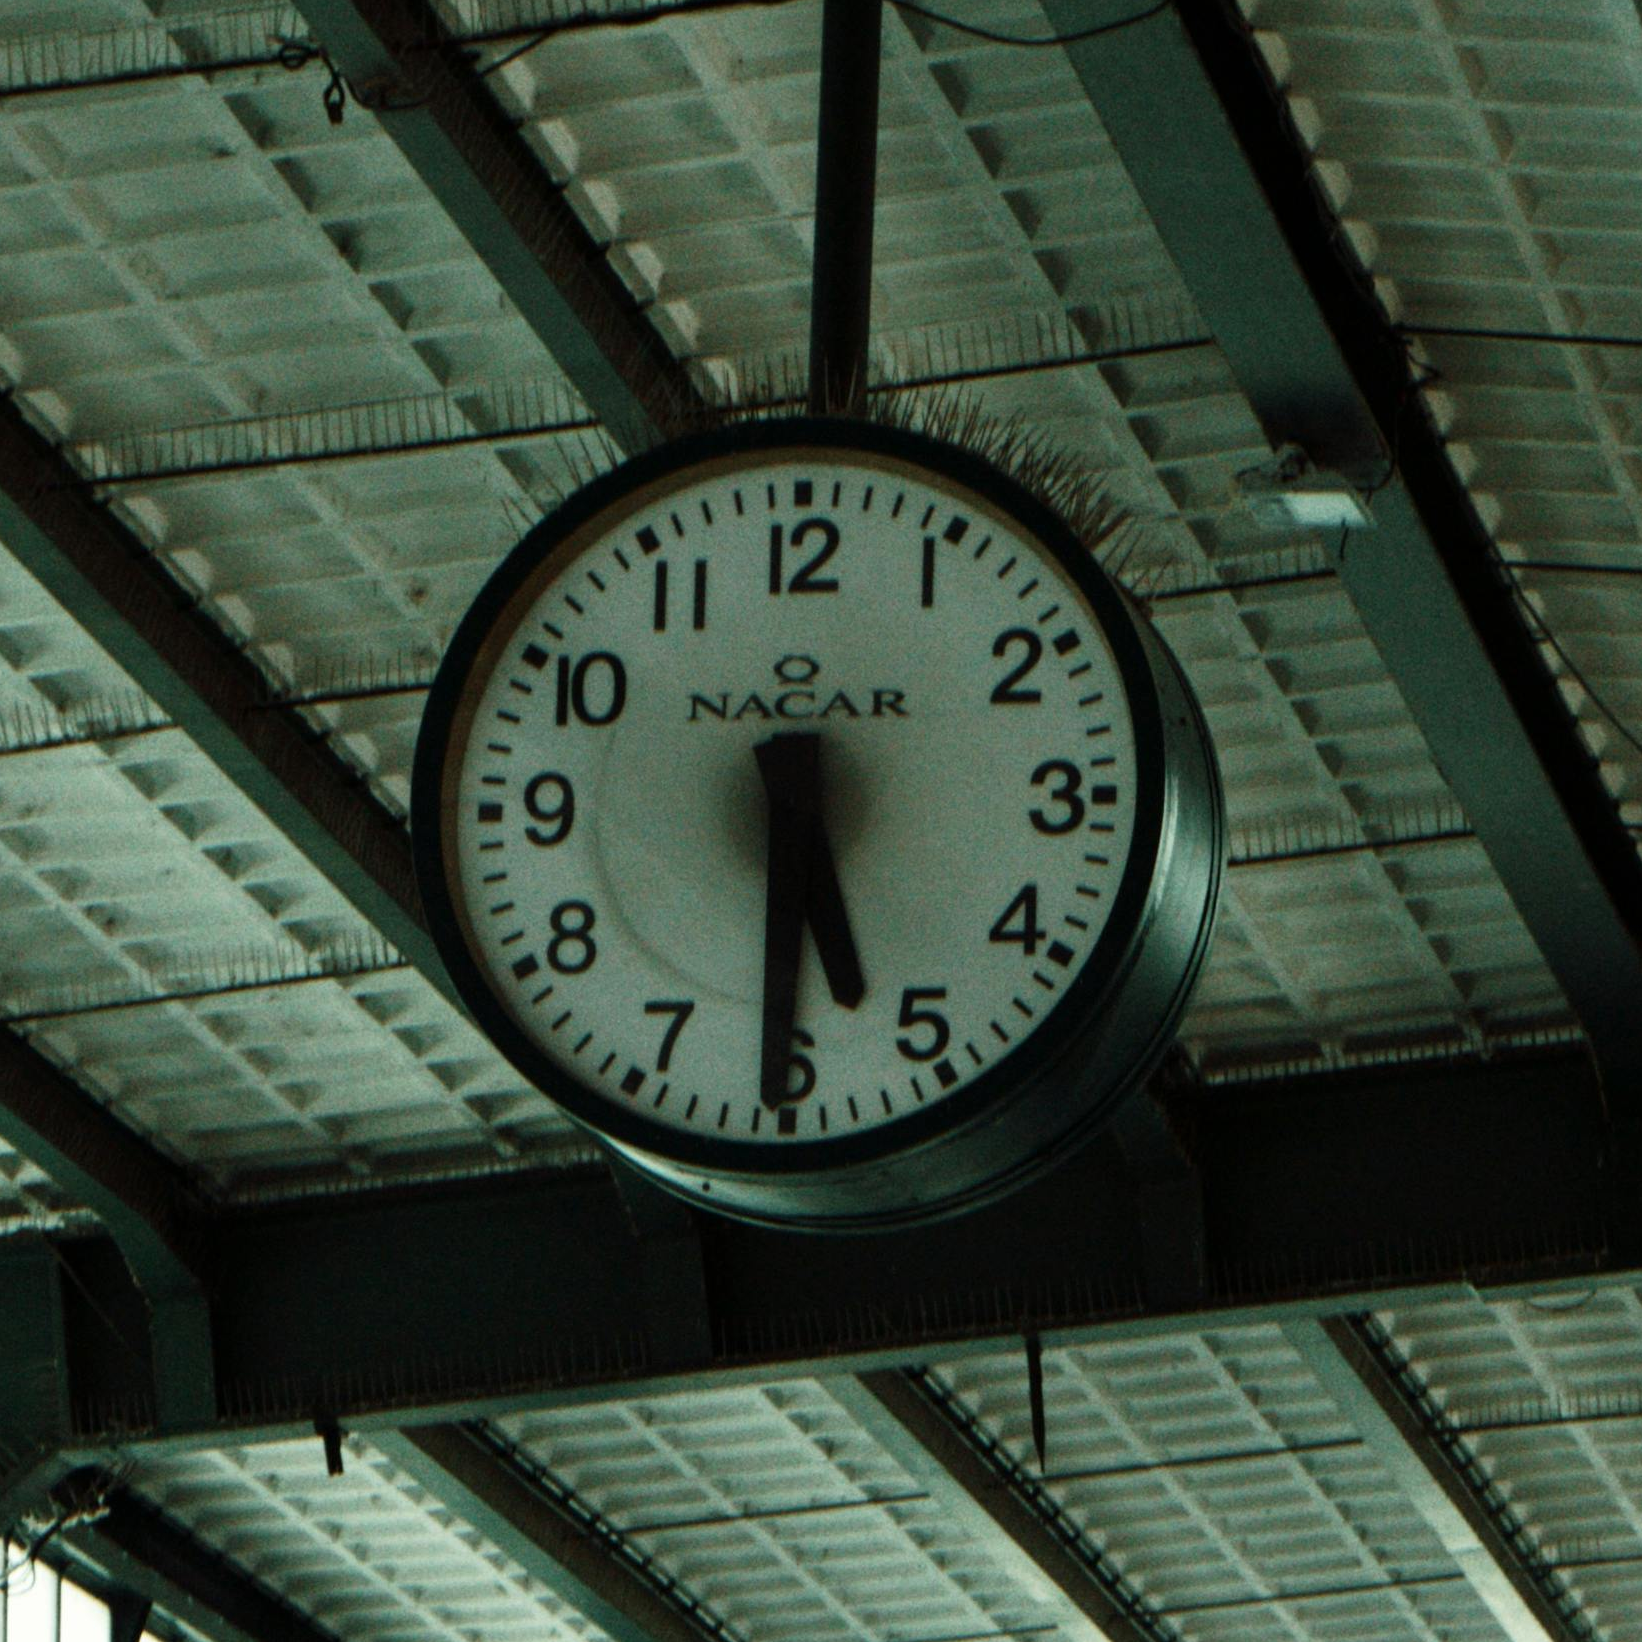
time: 5:30
